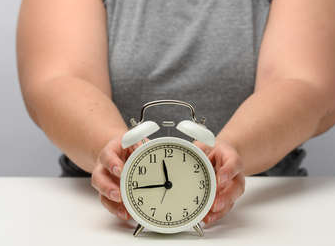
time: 11:44
